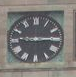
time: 9:14
